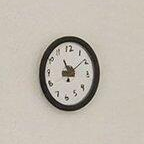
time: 11:08
